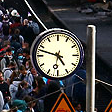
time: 4:47
